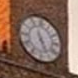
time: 5:26
